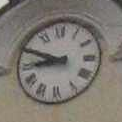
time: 8:49
